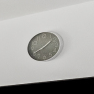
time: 1:39
